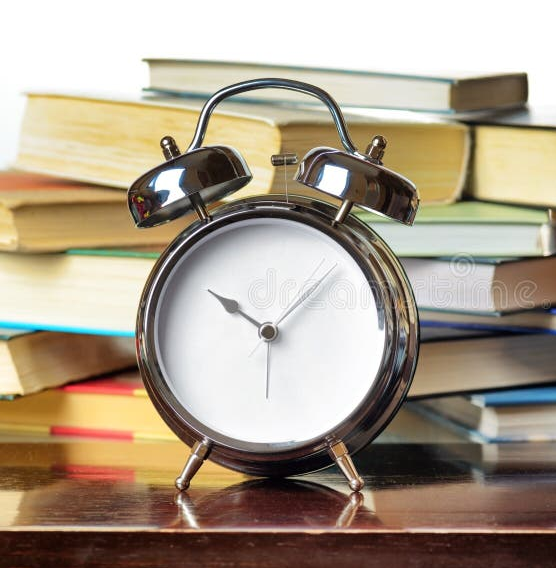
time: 10:07
